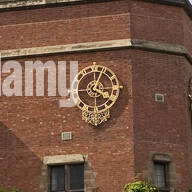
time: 4:03
